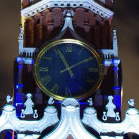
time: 11:09
